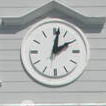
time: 2:01
